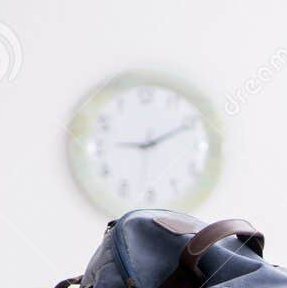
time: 9:10
